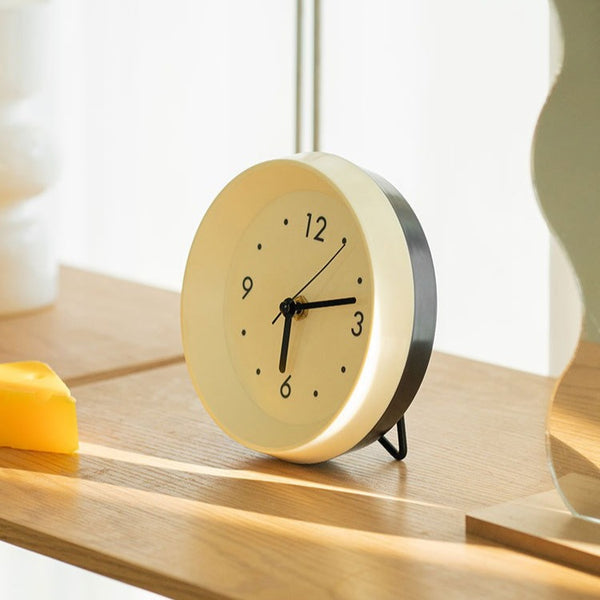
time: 6:12
